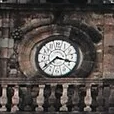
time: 3:39
